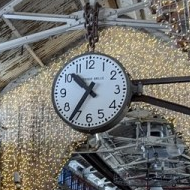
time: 10:35
